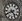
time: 4:40
